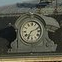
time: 7:11
